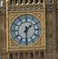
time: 1:30
